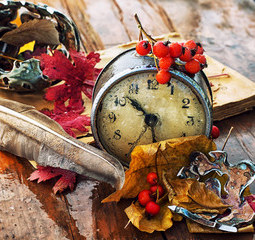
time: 10:28
